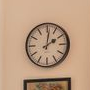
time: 2:01
